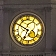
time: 6:50
